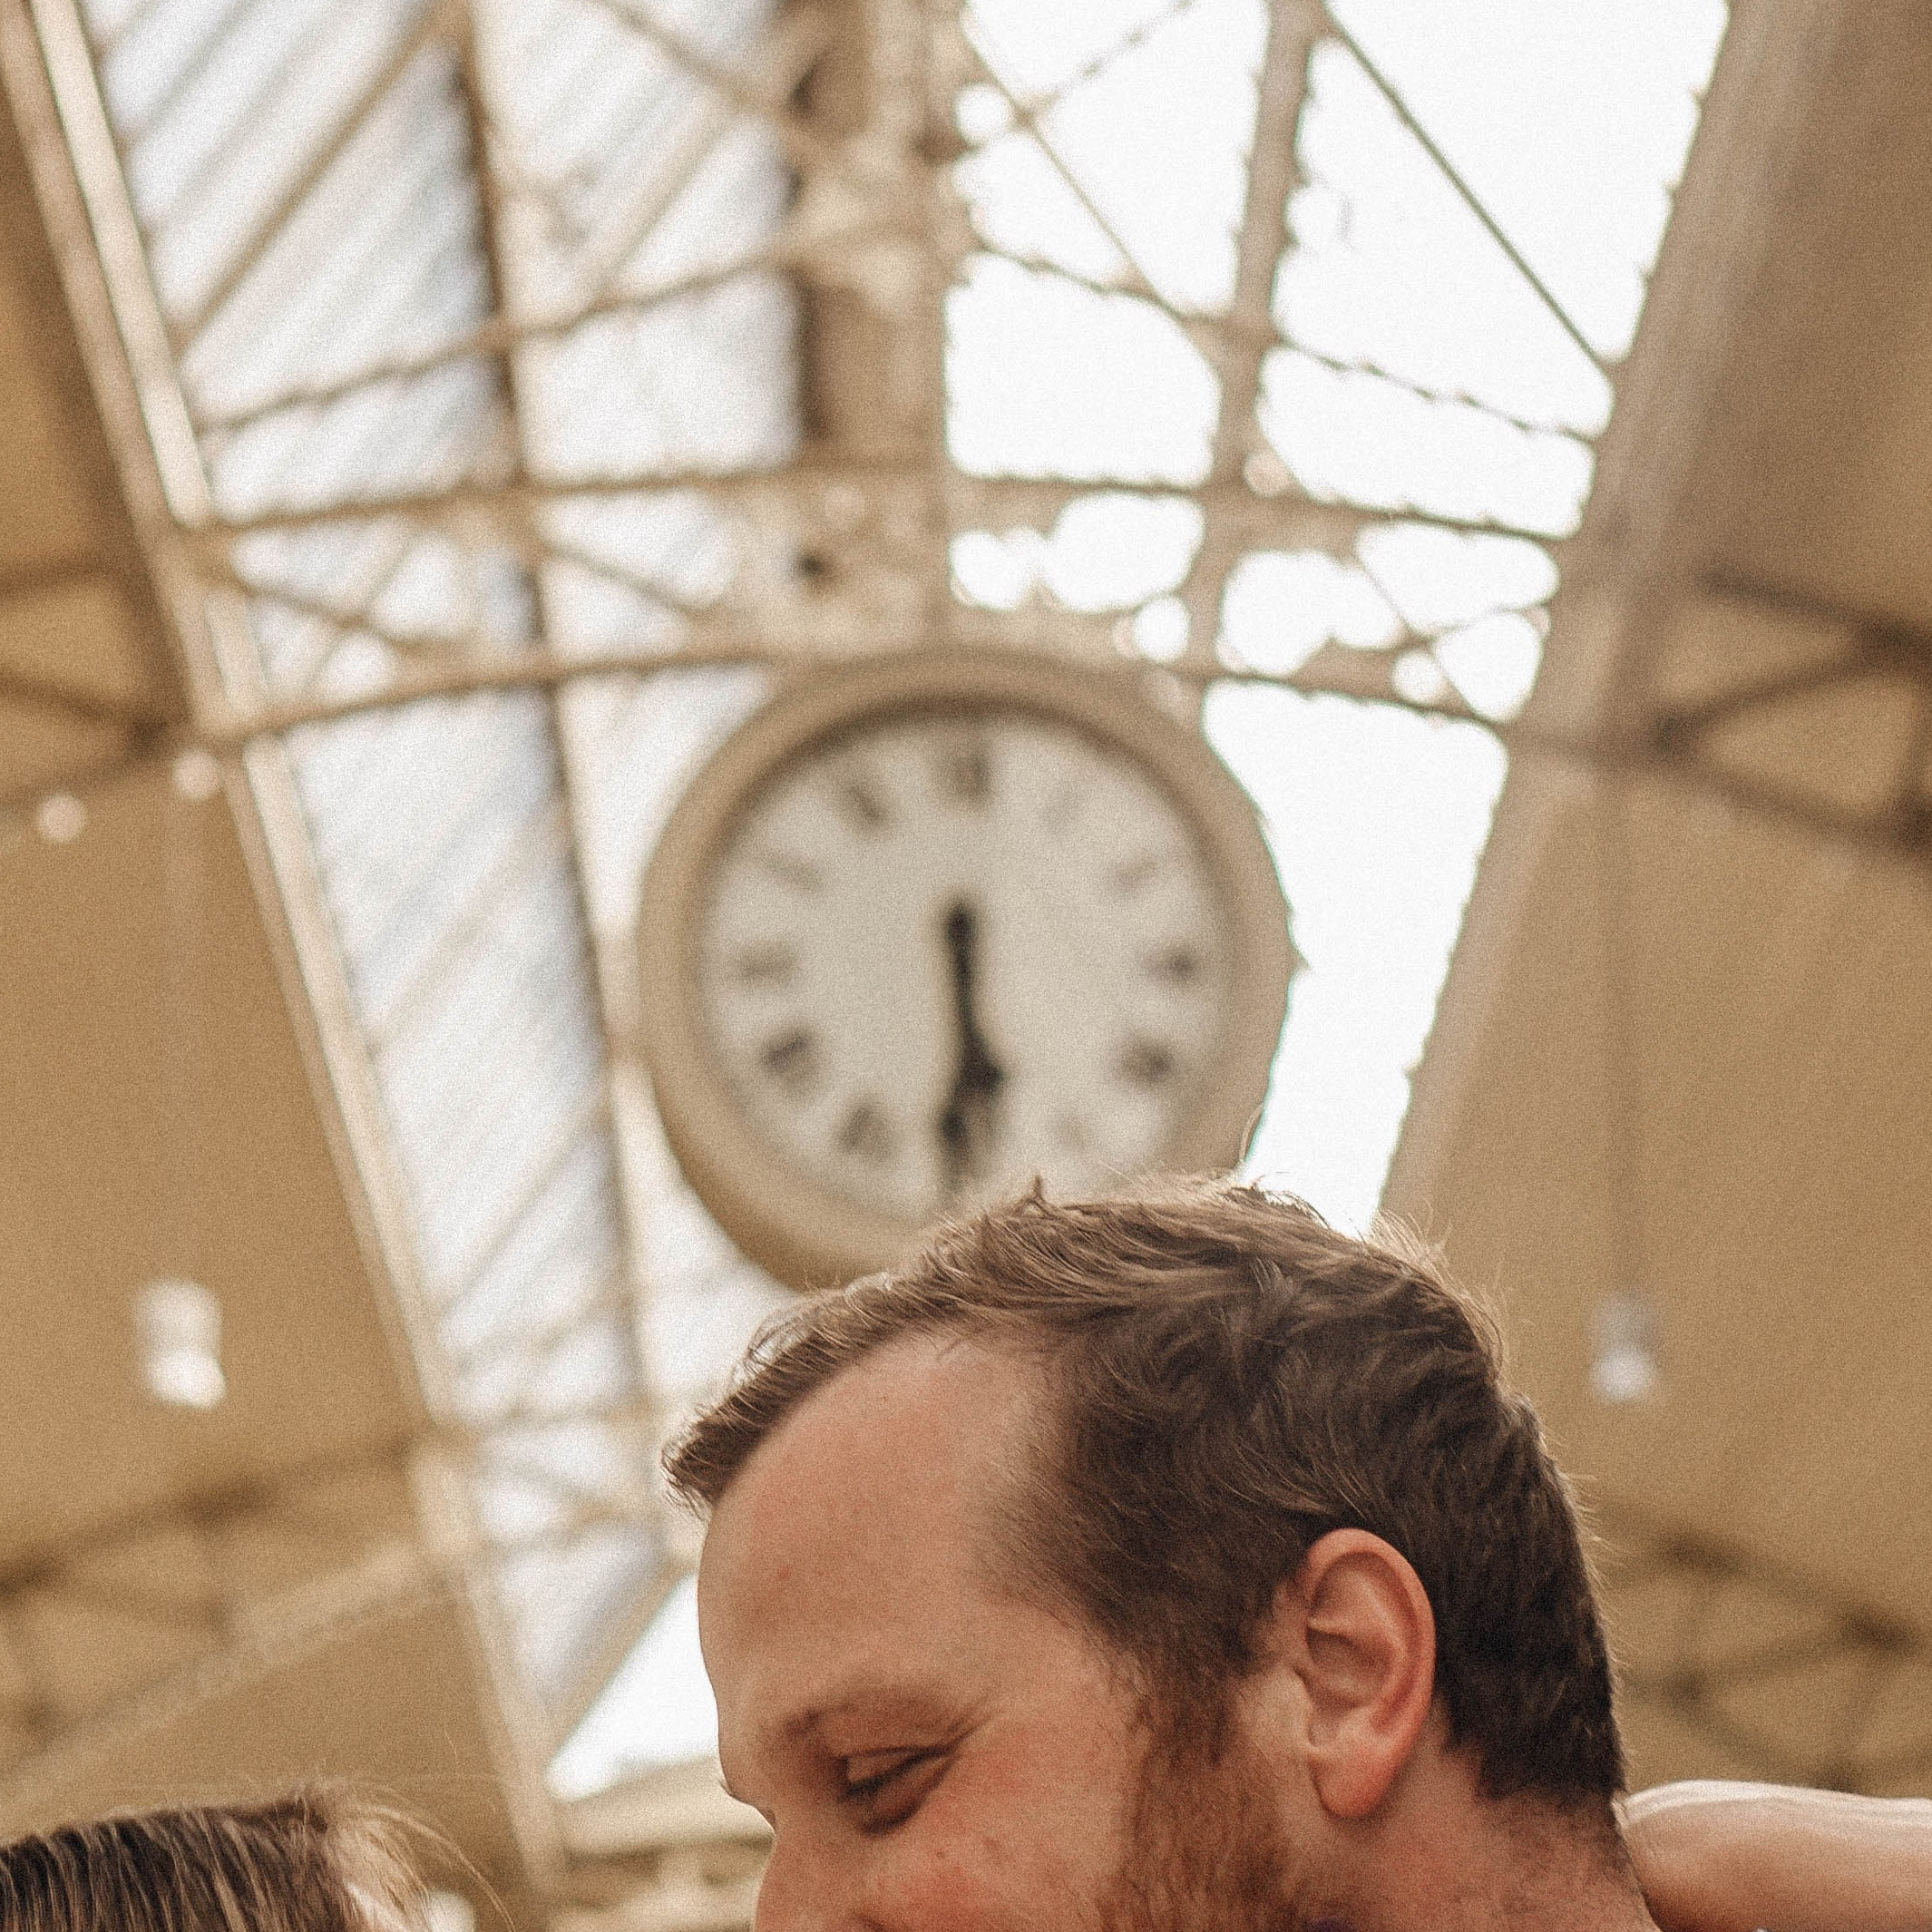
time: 5:29
